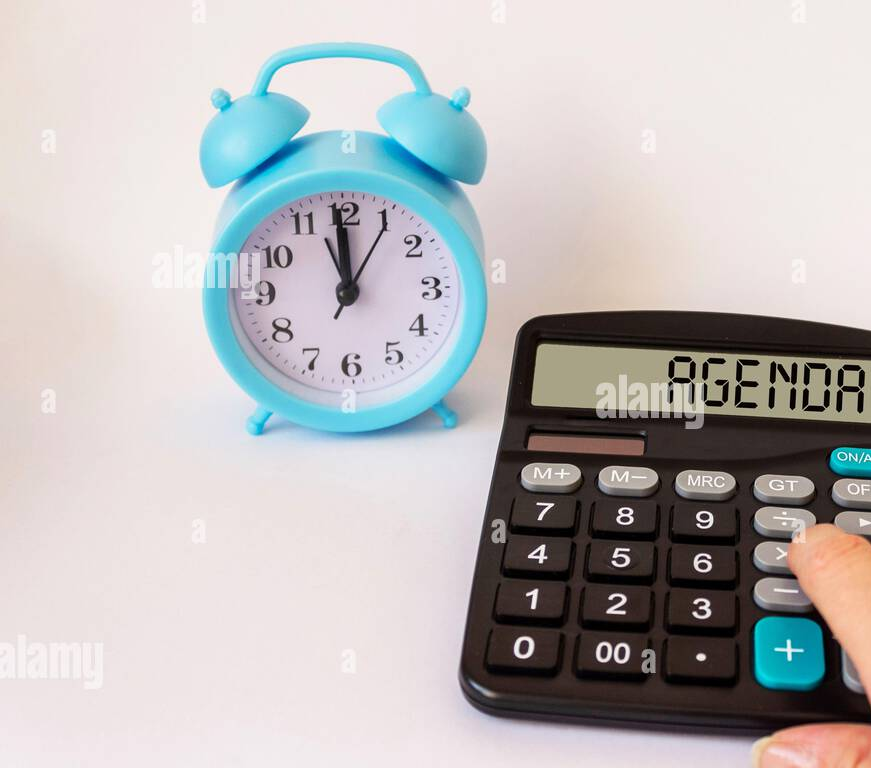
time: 11:59
